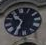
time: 10:34
